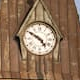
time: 4:50
